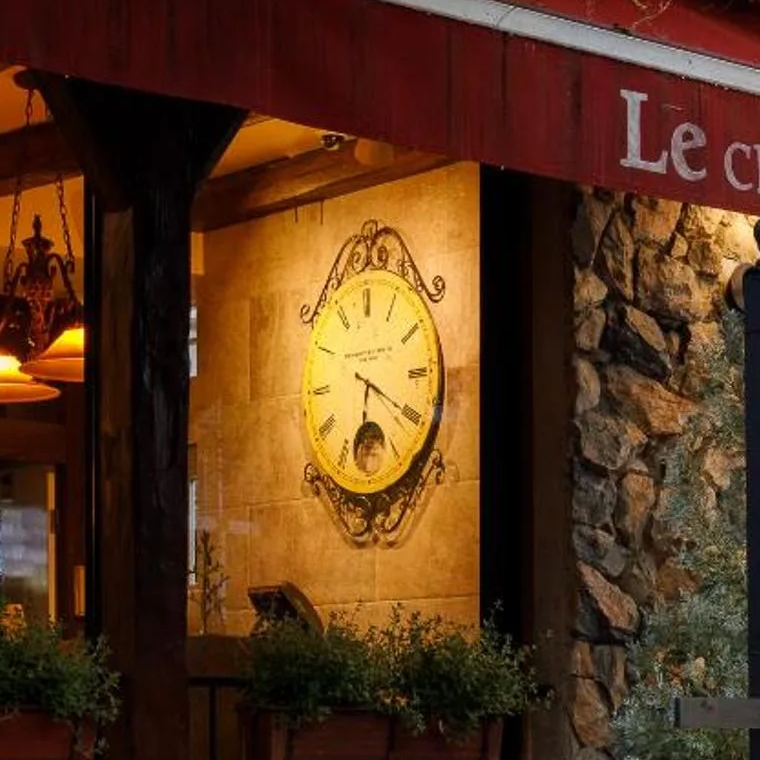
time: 6:19
